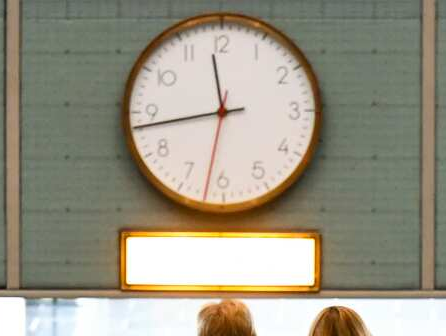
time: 11:43
